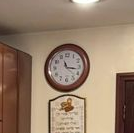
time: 11:16
